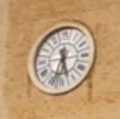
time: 5:33
